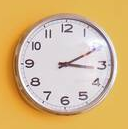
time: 3:10
